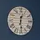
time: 12:28
